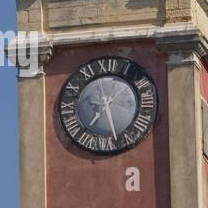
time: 7:27
